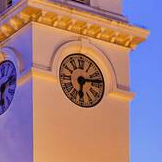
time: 6:13
